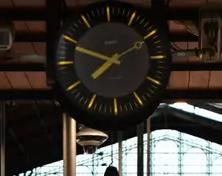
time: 7:48
